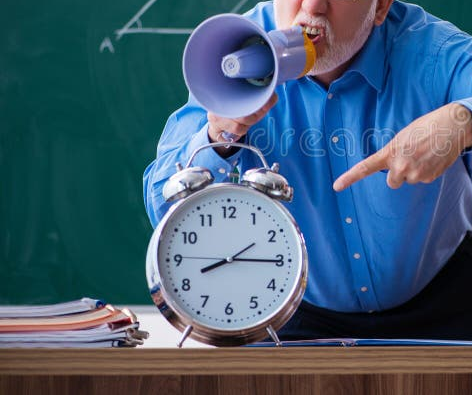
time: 8:15
